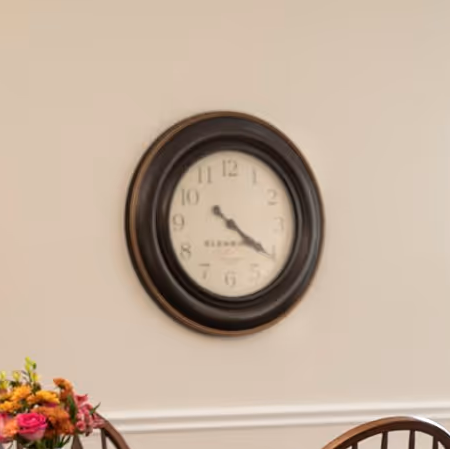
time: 4:20
